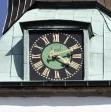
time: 4:12
